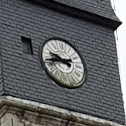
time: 9:42
